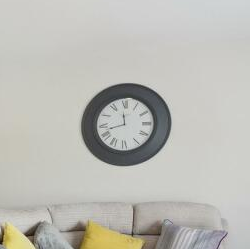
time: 11:42
